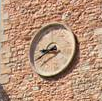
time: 8:40
